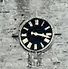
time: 3:17
